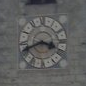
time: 3:41
